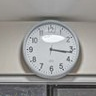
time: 3:16
